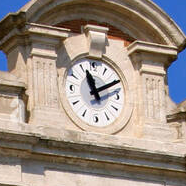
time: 11:10
